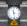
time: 11:28
